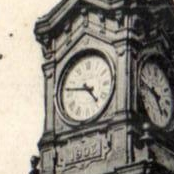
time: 4:46
